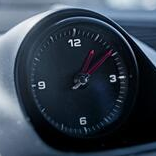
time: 1:09
